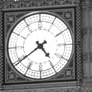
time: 4:39
